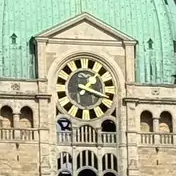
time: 1:17
